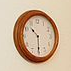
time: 10:30
